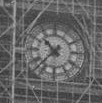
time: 10:37
